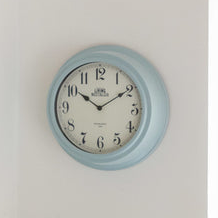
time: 10:09
